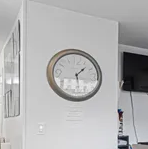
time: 1:28
